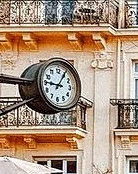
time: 9:05
